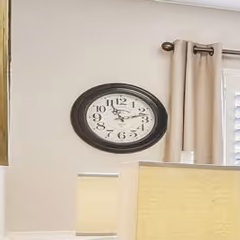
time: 11:12
